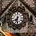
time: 7:32
